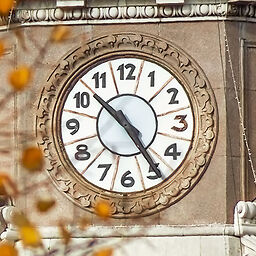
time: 10:24
